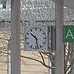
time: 10:28
